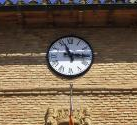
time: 11:15
